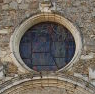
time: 12:24
